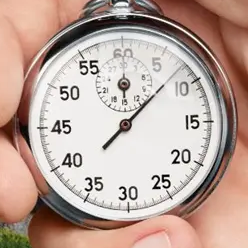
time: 12:07
